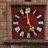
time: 4:59
